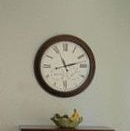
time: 11:12
